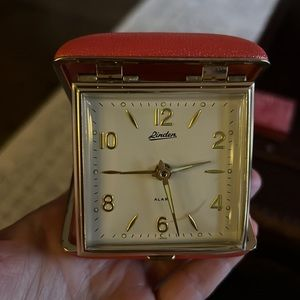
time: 5:44
